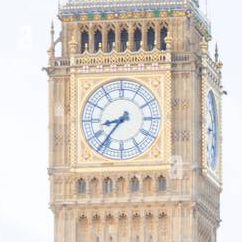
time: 8:36
